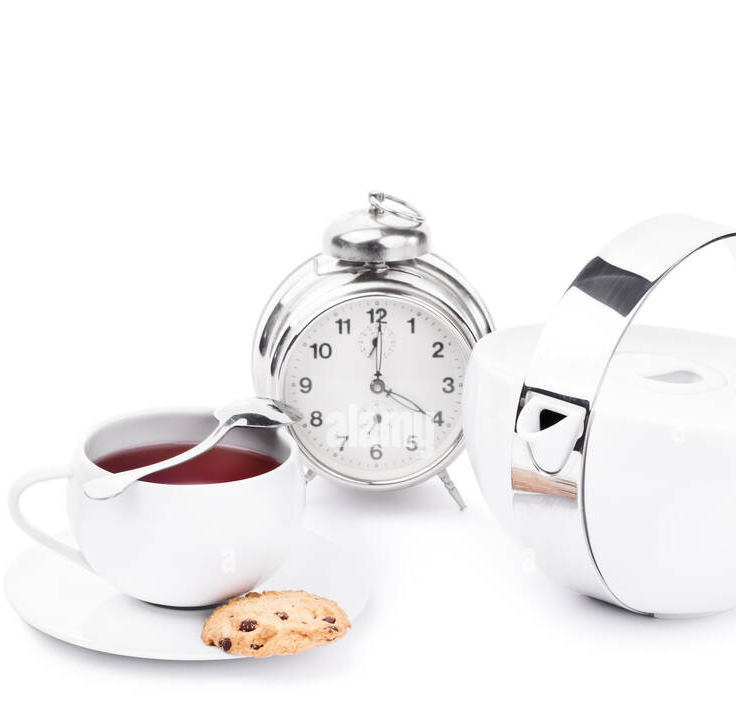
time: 4:00
